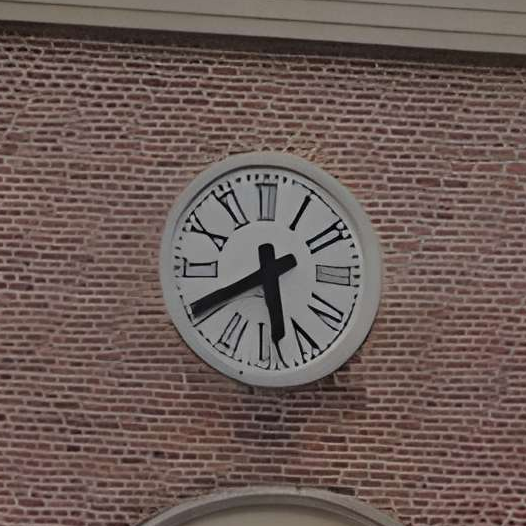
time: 5:40
